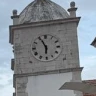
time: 5:55
